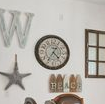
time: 4:35
